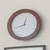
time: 12:42
